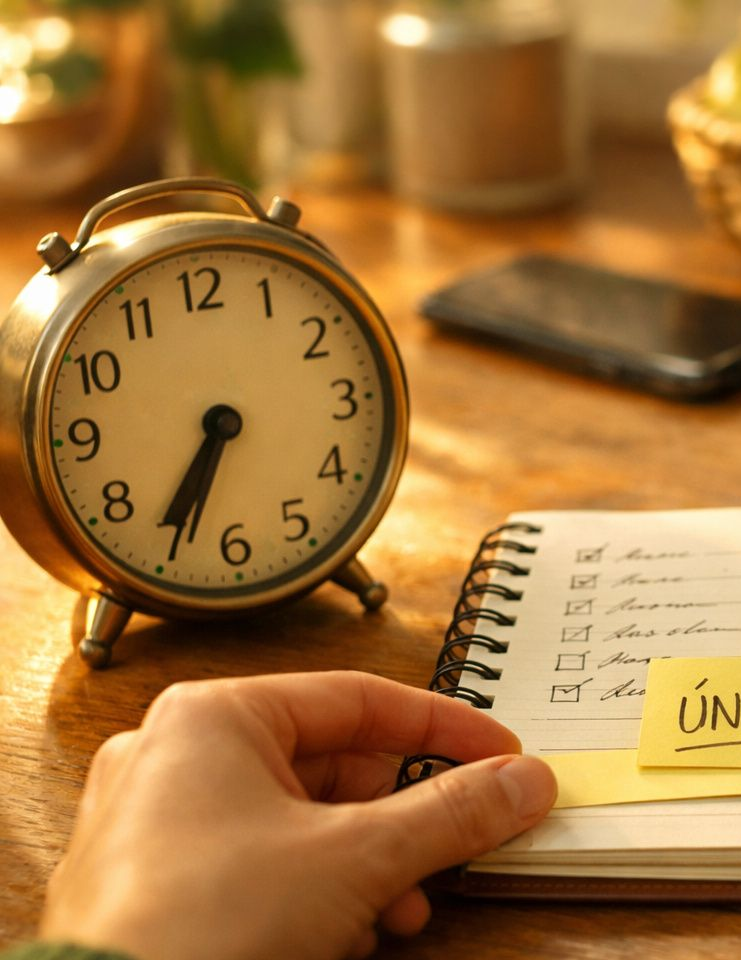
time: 6:35
